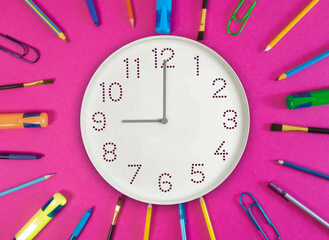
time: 9:00
